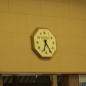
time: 6:24
